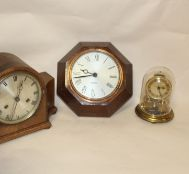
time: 9:42
